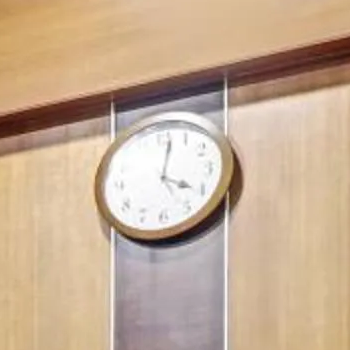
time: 4:02
